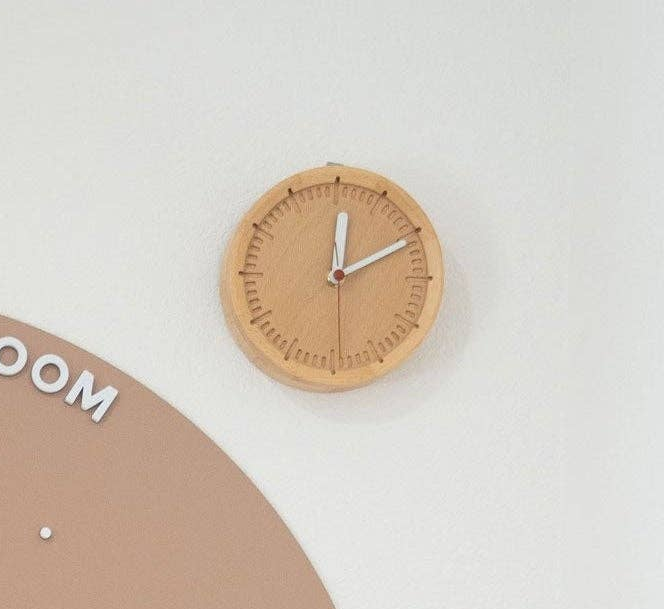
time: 12:10
